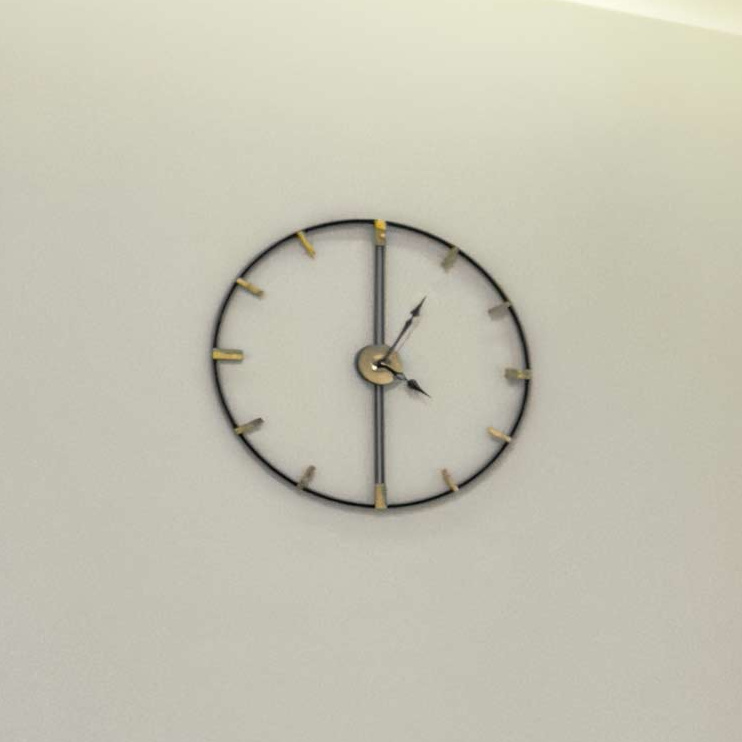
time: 1:00
